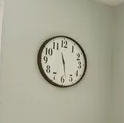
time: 11:28
